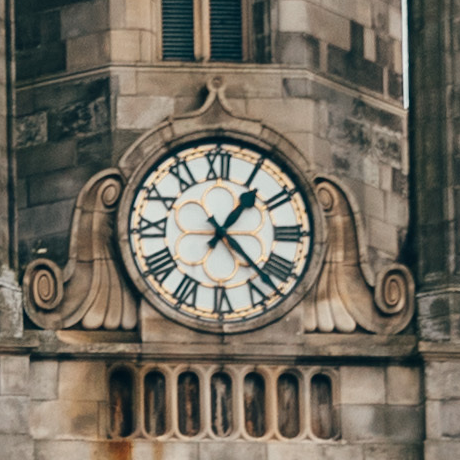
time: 1:22
